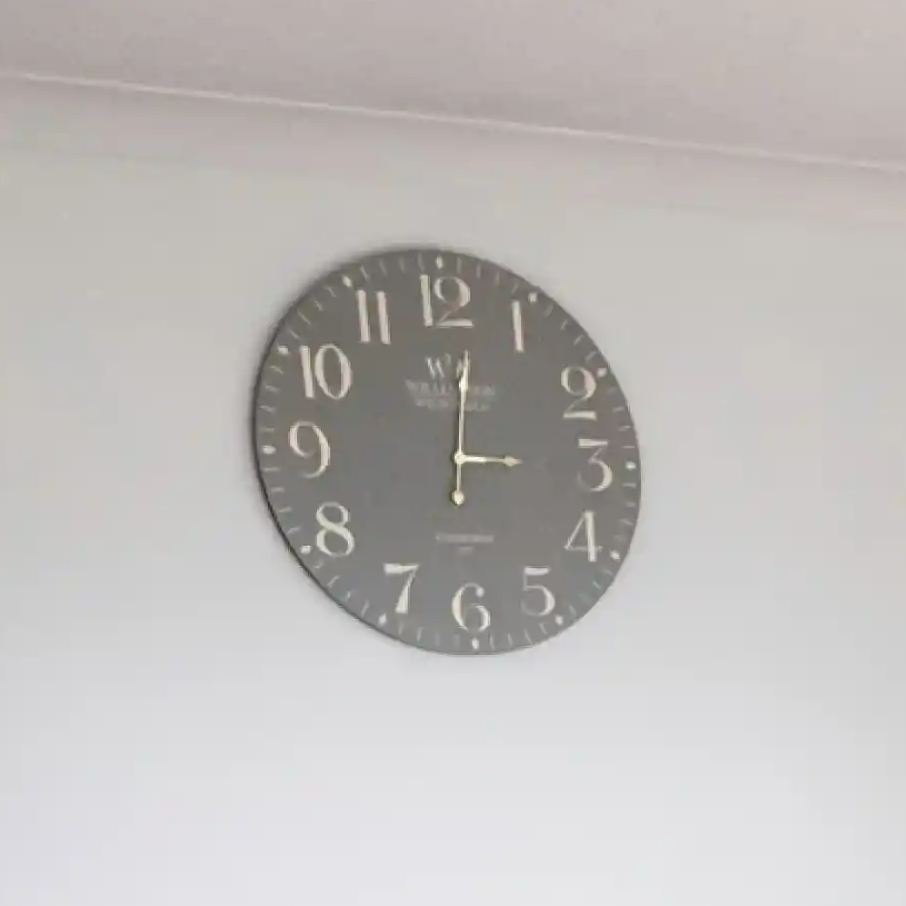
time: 3:01
